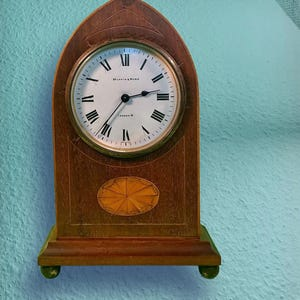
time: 2:36
